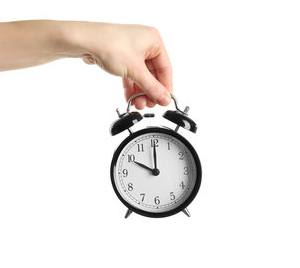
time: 10:00
